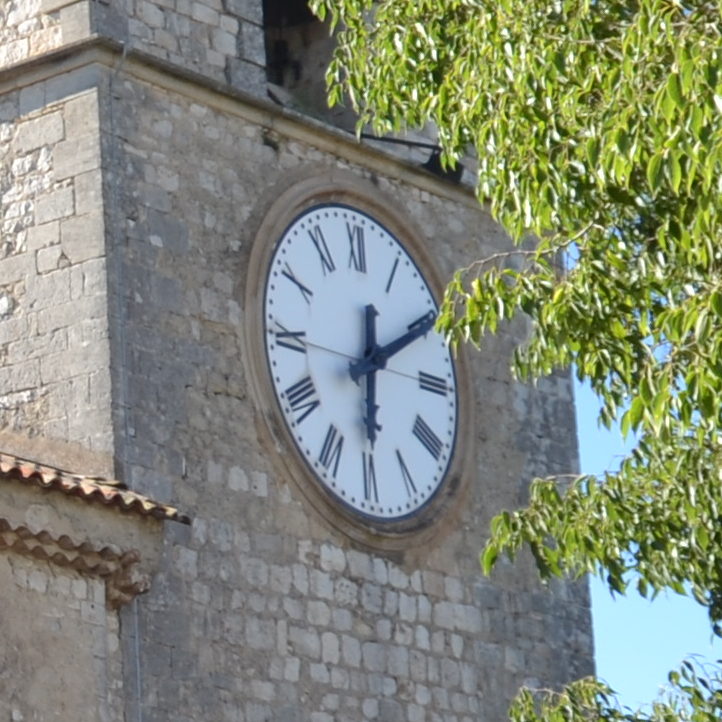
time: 6:10
